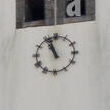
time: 10:56
